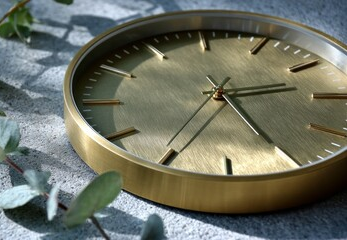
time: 2:25
